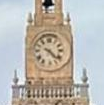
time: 4:22
